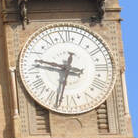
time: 9:32
